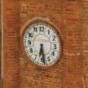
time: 6:28
